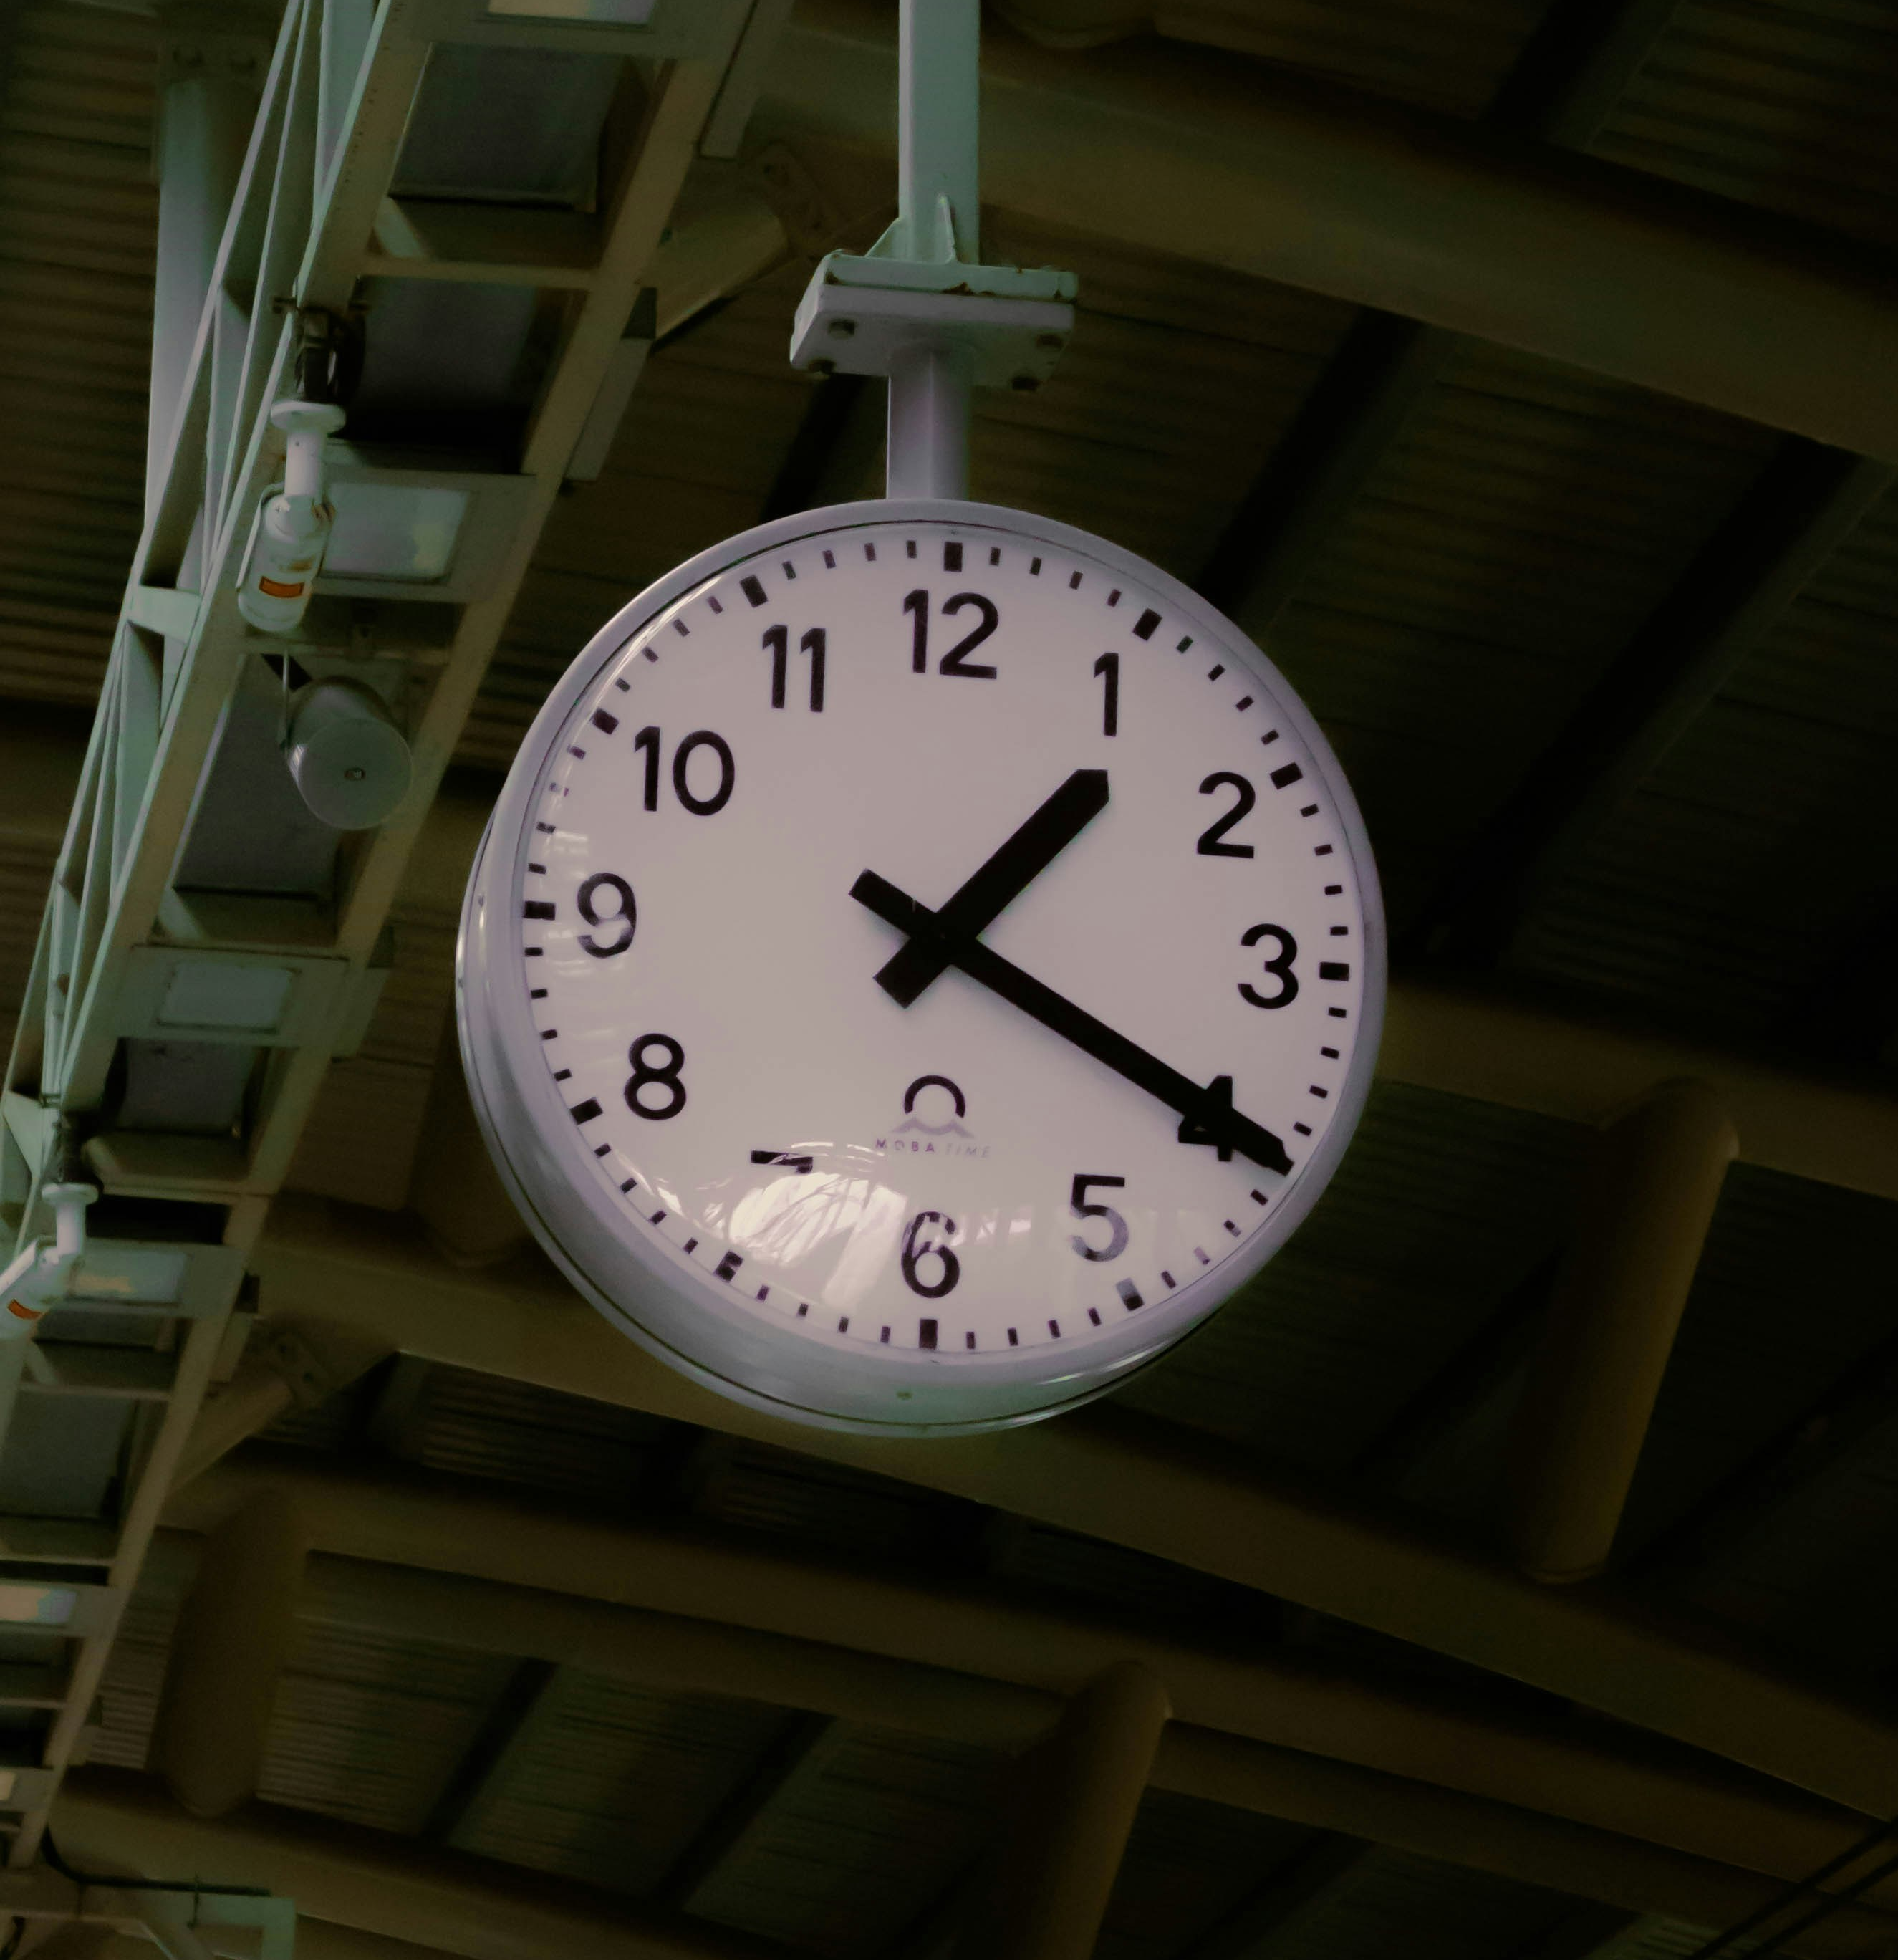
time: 1:19
